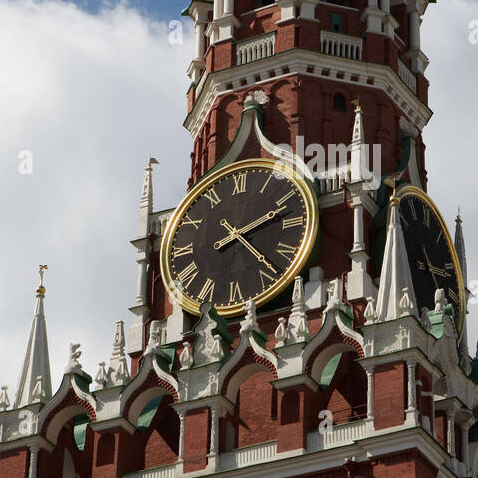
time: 2:23
